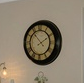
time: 1:53
